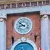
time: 8:50
